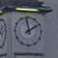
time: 1:58
